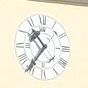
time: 10:36
